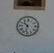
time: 10:32
